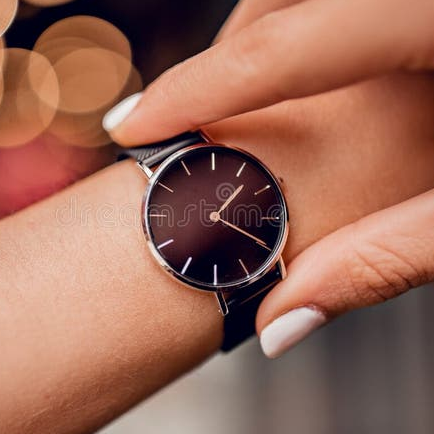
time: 1:19
